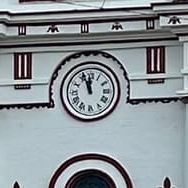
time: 11:56
